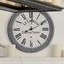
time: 8:10
